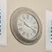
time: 10:18
